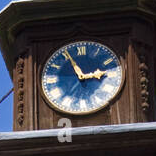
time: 2:55
